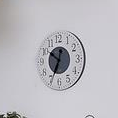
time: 6:50
